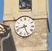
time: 8:26
